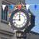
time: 11:45
